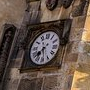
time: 7:28
